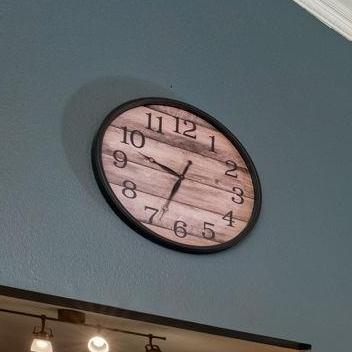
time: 9:33
